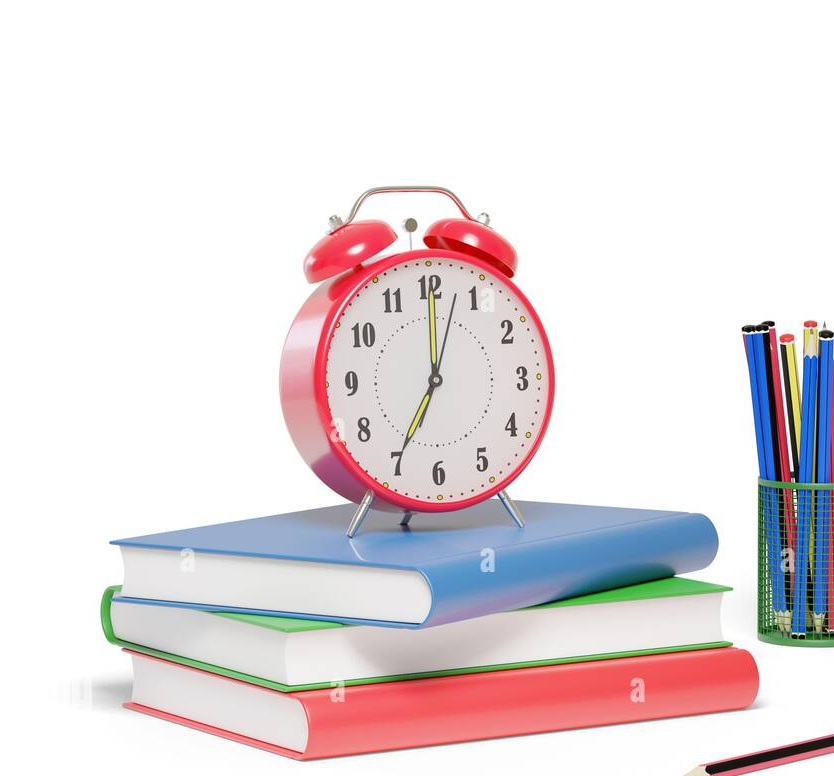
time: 12:34
